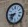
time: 8:37
